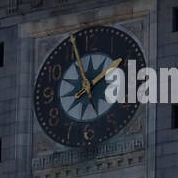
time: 1:56
